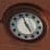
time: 4:56
